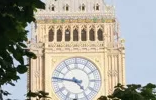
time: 4:46
